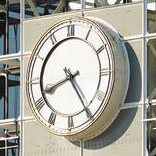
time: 8:24
